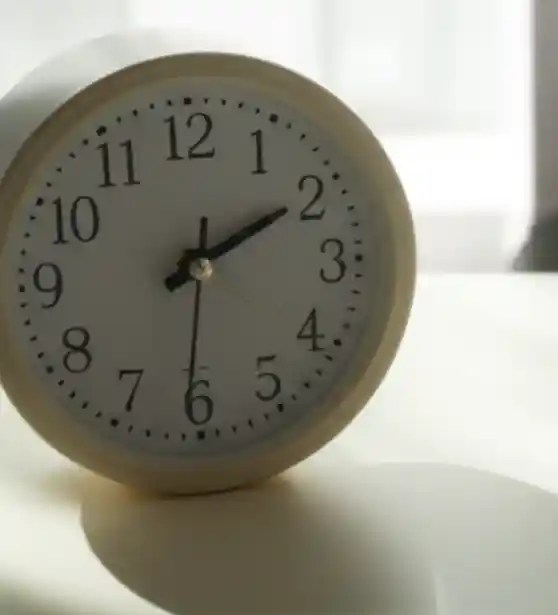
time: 2:10
